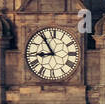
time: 8:54
